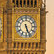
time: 5:26
